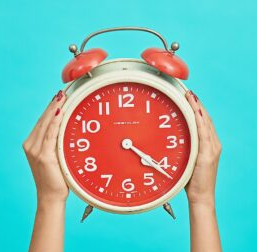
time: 4:21
